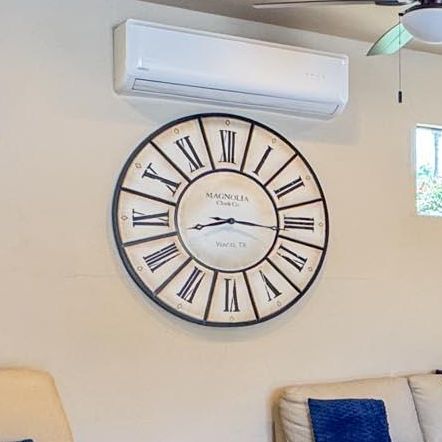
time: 8:16
